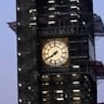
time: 7:40
